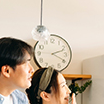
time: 2:19
